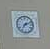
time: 7:11
